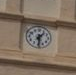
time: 1:29
